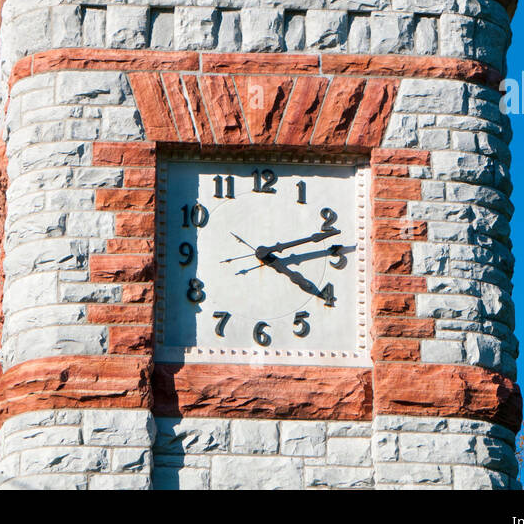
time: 4:12
